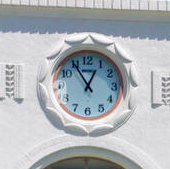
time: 12:54
